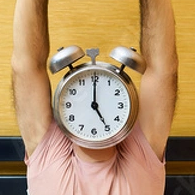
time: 5:00
